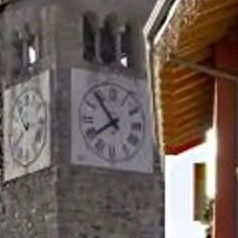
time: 7:53
